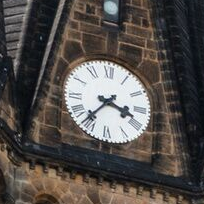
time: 3:36
